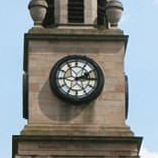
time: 2:14
